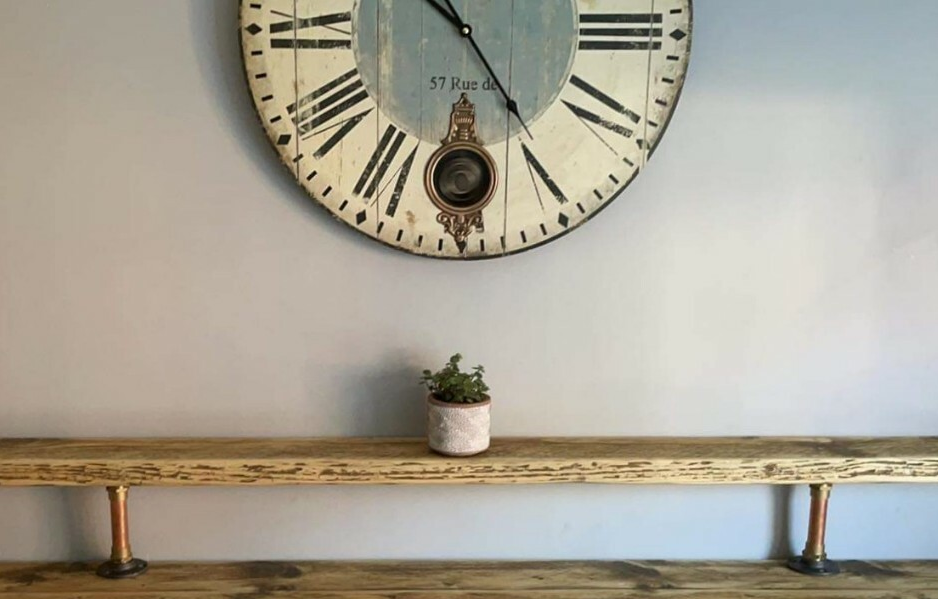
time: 10:24
